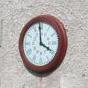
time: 3:58
